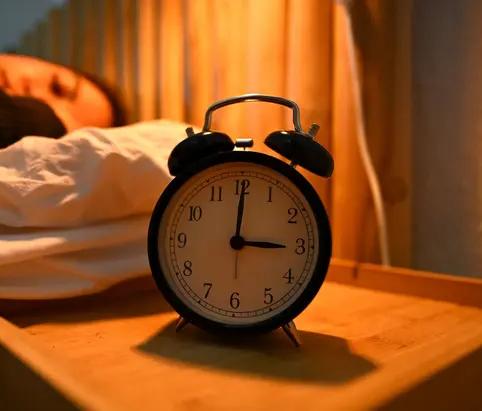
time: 3:00
